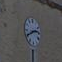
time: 2:40
